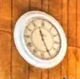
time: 11:25
